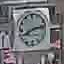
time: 8:12
